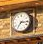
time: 7:15
